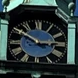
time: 2:50
